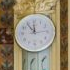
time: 11:53
